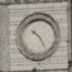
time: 10:24
